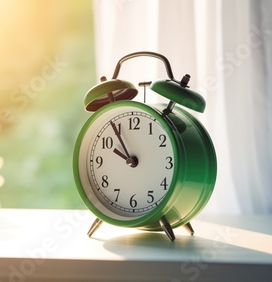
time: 9:54
